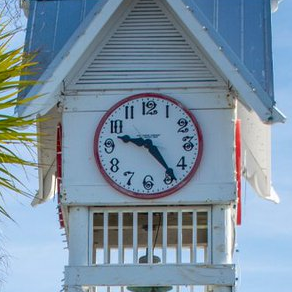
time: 9:23
